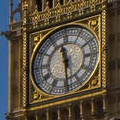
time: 11:29
